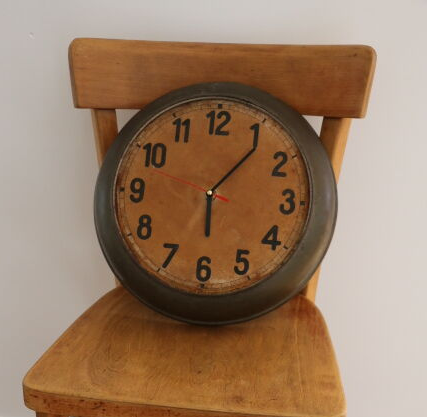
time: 6:06
